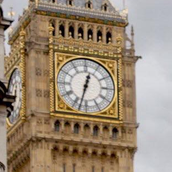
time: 12:32
